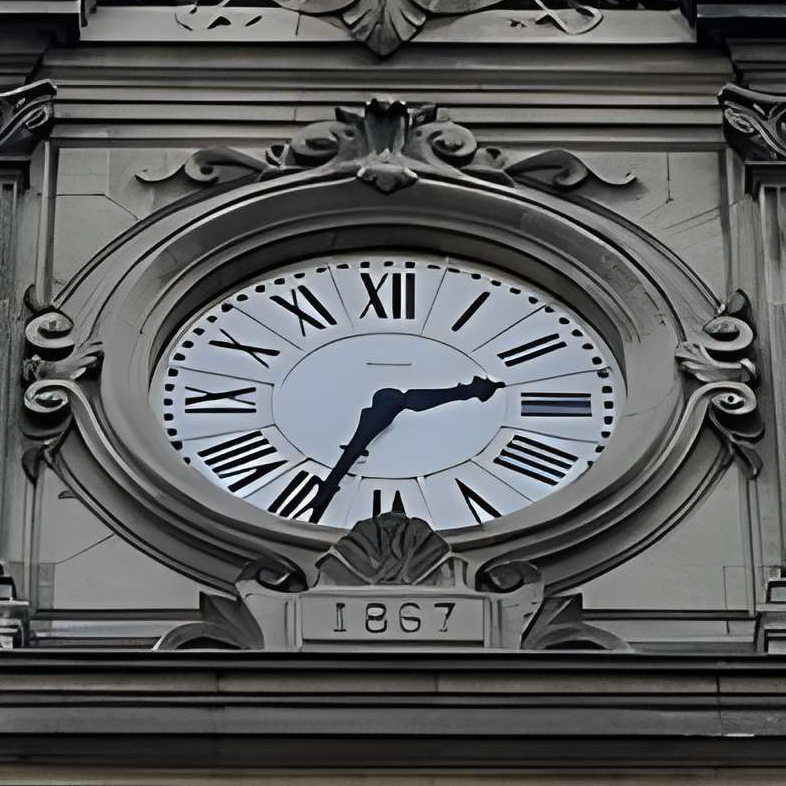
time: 2:33
